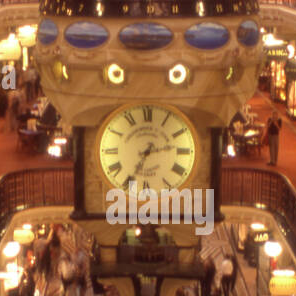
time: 2:34
